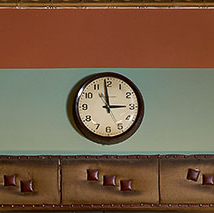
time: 2:58
